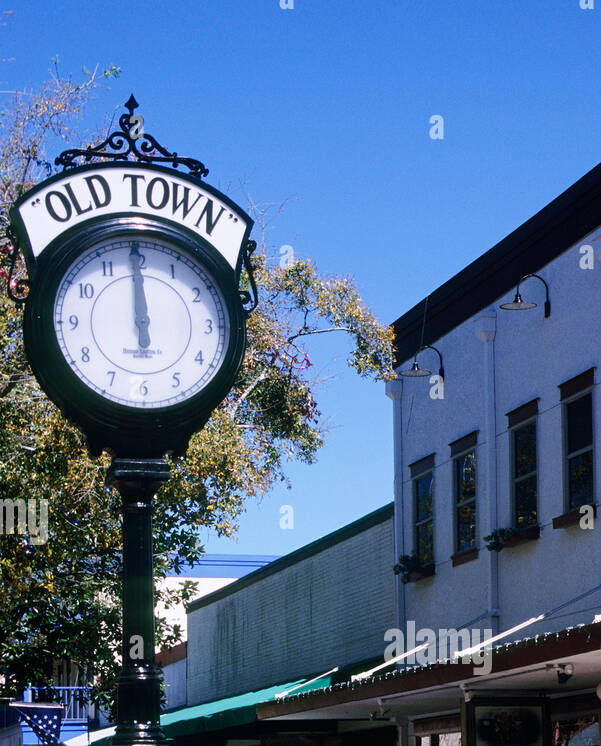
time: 11:59
